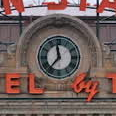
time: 11:36
